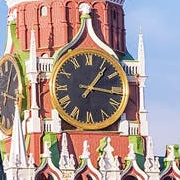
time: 1:16
